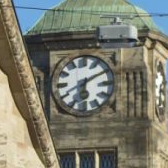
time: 6:10
